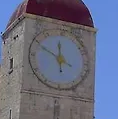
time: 11:49
